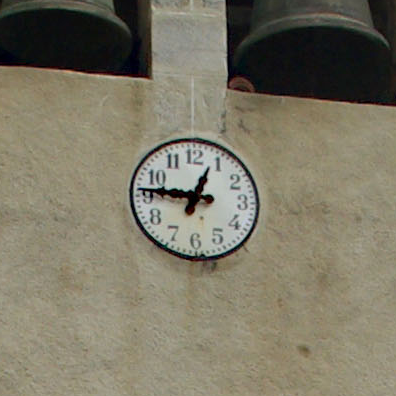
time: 12:46
